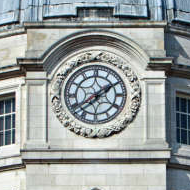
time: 1:39
